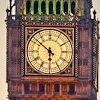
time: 5:51
